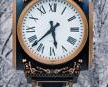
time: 5:37
